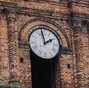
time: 1:58
